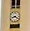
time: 8:21
